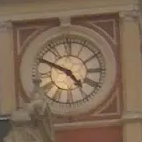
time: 4:49
